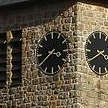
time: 3:39
